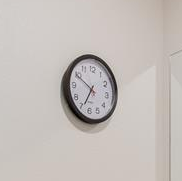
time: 6:49
